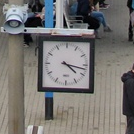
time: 4:17
